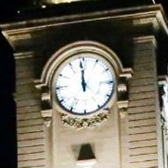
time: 11:59
